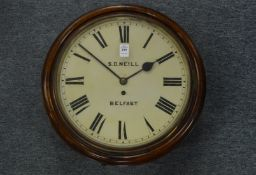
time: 1:51
